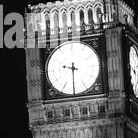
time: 9:30
